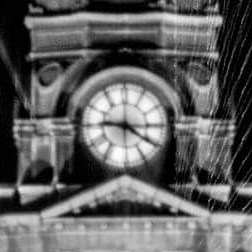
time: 9:20
